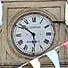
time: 5:51
